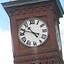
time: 10:48
